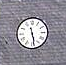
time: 5:28
